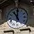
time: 11:00
